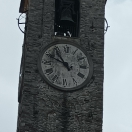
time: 10:49
